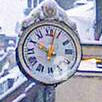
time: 10:02
